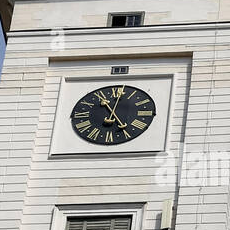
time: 4:54
